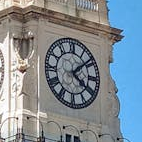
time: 4:08
